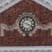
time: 3:48
